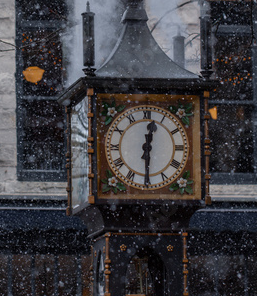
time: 12:29
